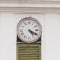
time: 4:18
